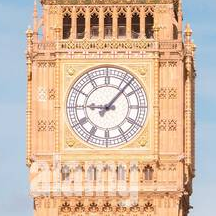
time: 9:07
